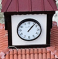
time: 1:06
